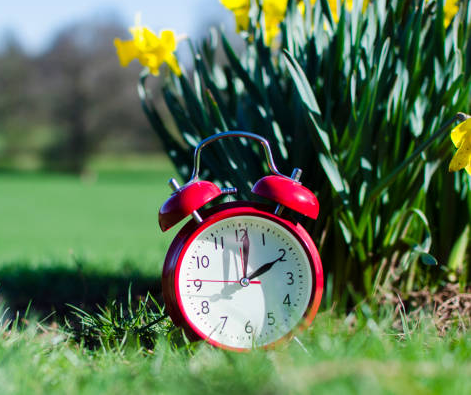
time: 2:01
